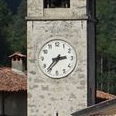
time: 2:37
